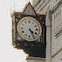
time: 4:25
